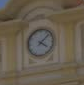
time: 4:07
